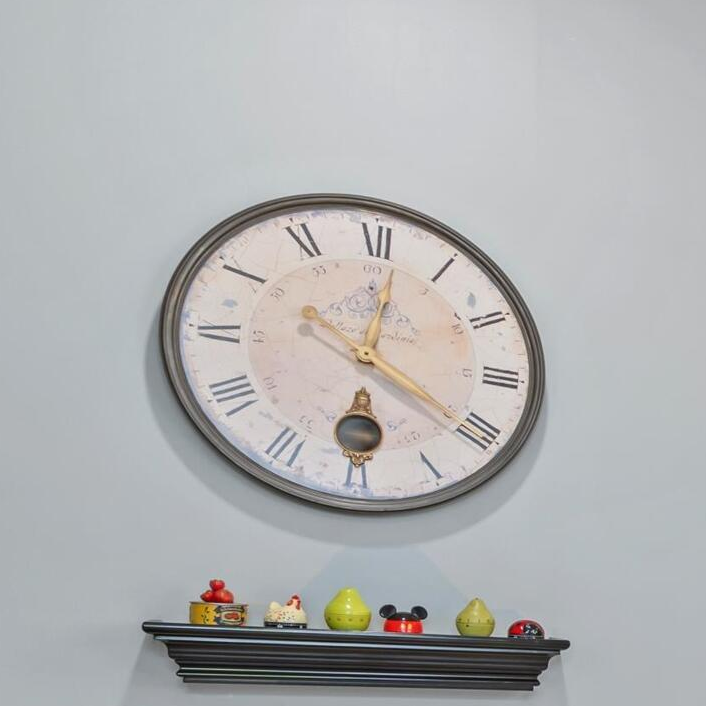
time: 12:20
